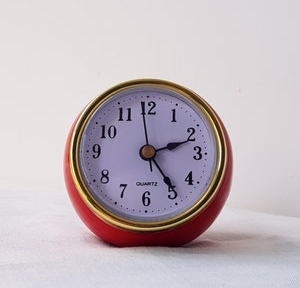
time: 2:24
